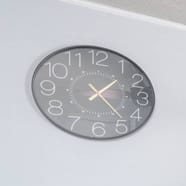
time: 1:23
